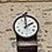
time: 1:59
